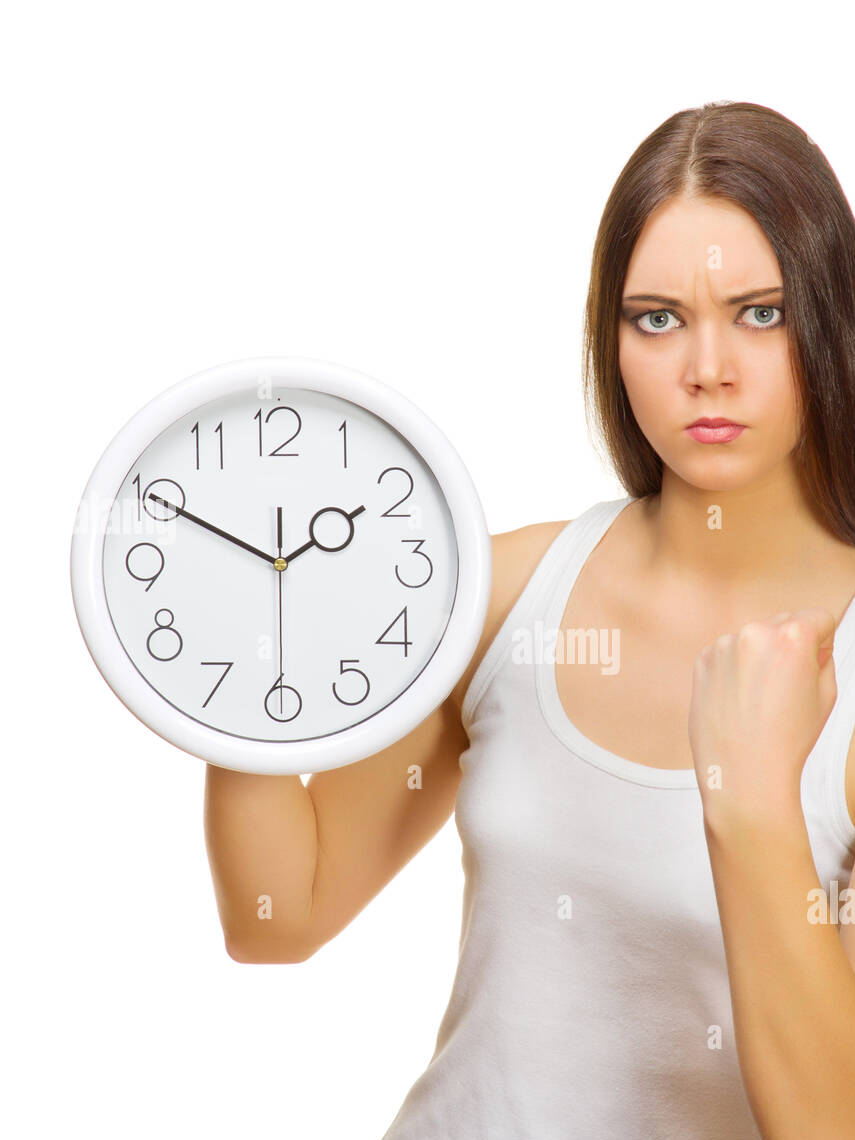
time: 1:49
